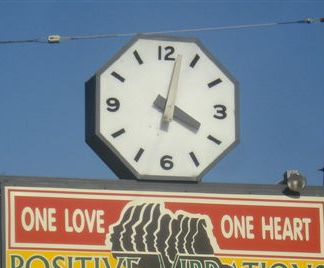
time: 4:02
